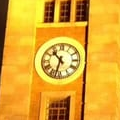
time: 10:32
